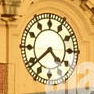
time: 4:38
